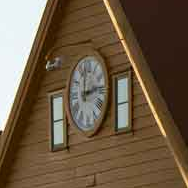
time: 12:13
